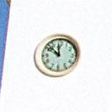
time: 11:52
